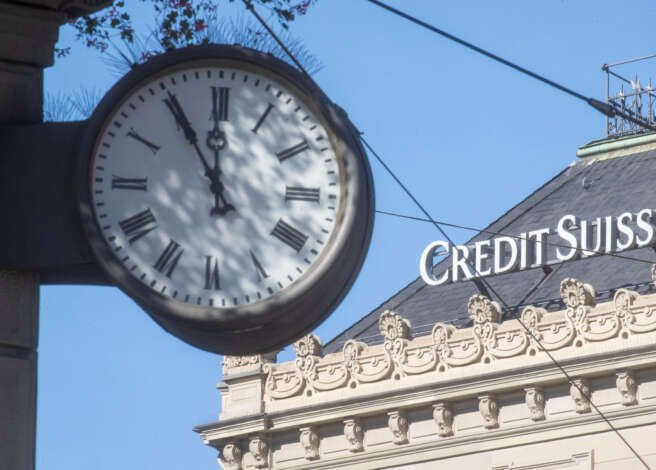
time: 11:55
